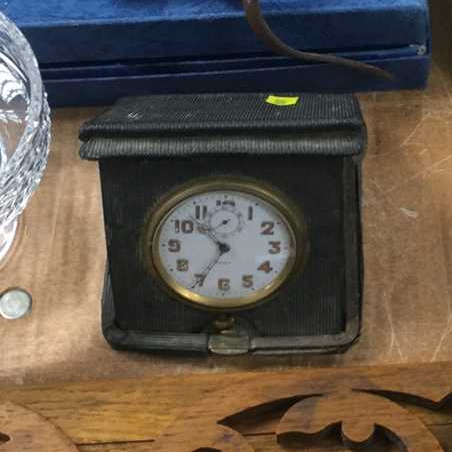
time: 10:34
